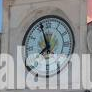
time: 7:56
